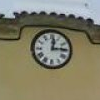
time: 12:14
